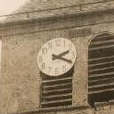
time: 2:18
